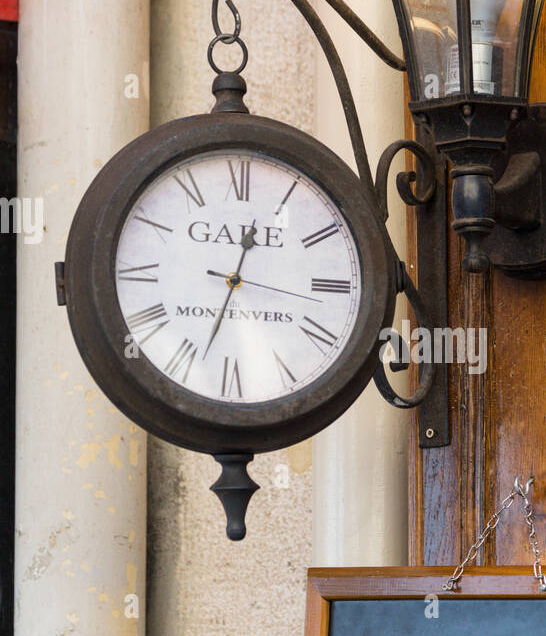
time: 12:33
